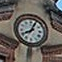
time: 8:04
